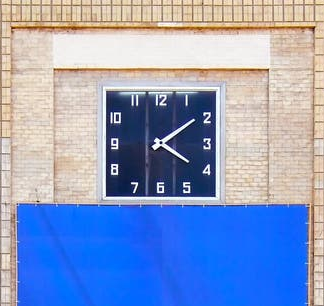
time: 4:09
